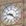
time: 9:22
